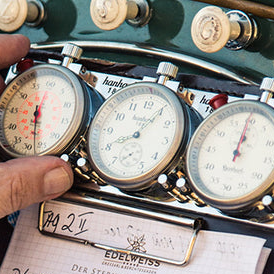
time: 8:05
